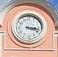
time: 3:17
